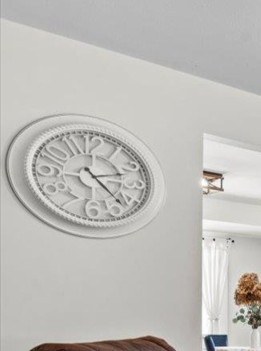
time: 2:22
